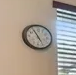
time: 4:54
